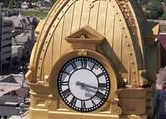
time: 4:17
